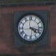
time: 4:17
